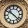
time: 10:22
